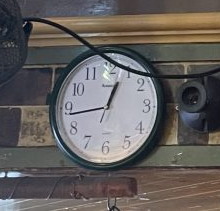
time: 12:43
